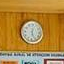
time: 12:26
